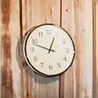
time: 12:48
